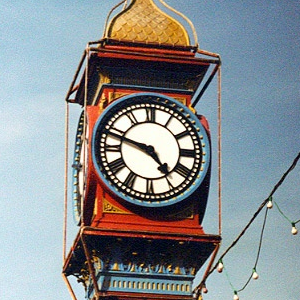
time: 4:47
